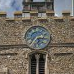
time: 7:15
